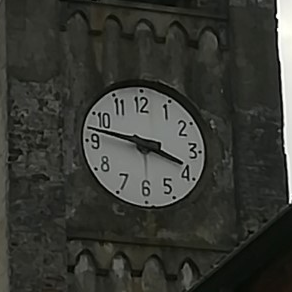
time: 3:47
